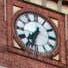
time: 7:33
